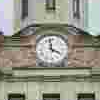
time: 3:58
